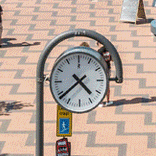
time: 4:38
